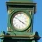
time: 3:51
